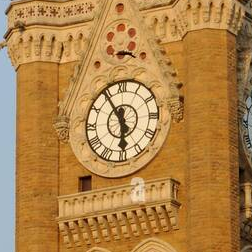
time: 5:54
